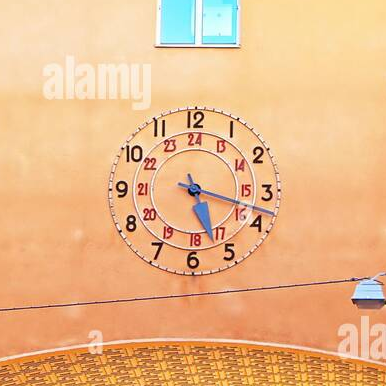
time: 5:17
